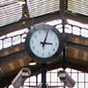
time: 3:02
